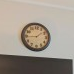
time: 1:44
